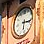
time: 6:16
